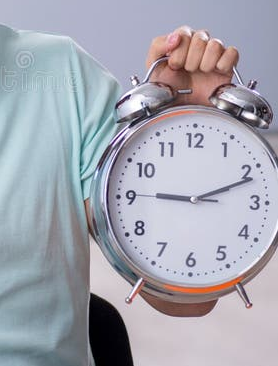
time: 9:11
